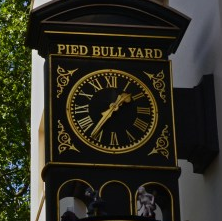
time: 1:36
